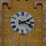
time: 2:18
